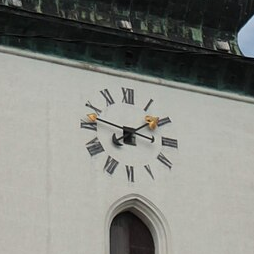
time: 7:47
